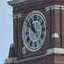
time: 10:51
